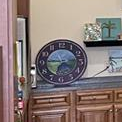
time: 6:45
